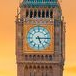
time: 5:14
